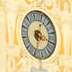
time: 6:19
